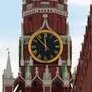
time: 11:52
